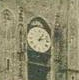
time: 1:12
